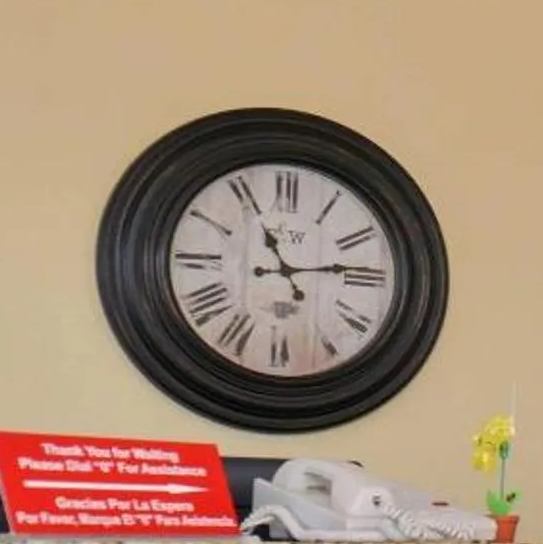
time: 11:13
